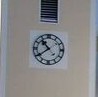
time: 10:39
